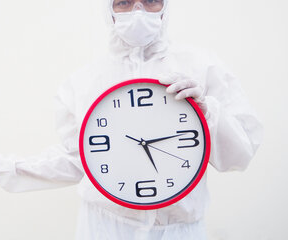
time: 5:13
